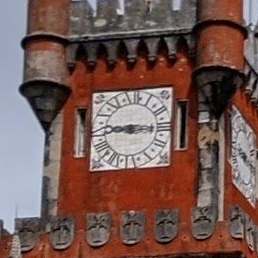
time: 9:15
